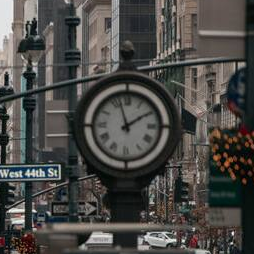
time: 1:57
